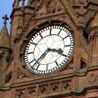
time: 3:37
